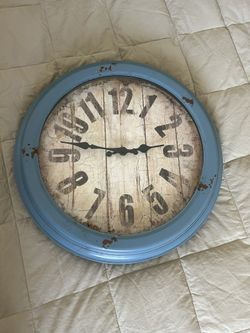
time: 2:46
